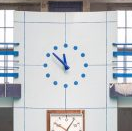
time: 11:52
